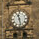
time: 11:28
